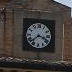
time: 3:38
